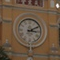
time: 3:09
